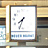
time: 7:33
